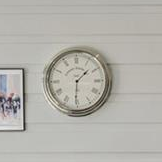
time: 1:30
